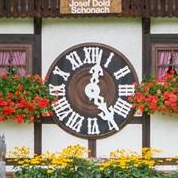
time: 12:24
